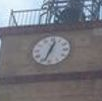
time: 12:33
